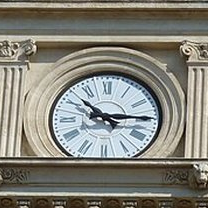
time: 10:14
